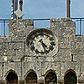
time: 4:26
